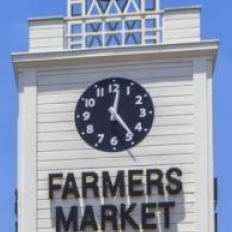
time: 12:23
